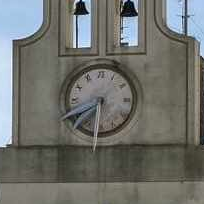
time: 7:40
